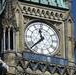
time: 11:37
